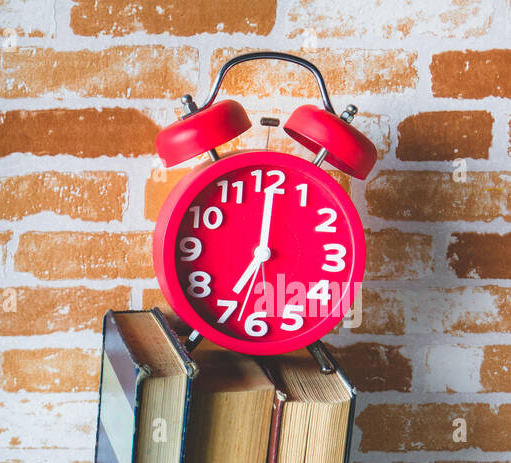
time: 7:00
